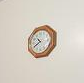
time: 10:39
